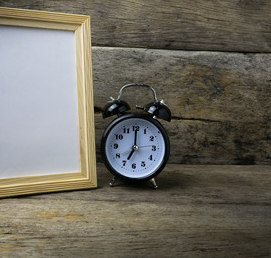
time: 7:00
